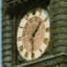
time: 1:30
